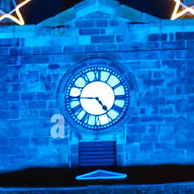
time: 4:44
